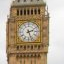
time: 2:26
